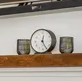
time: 12:25
